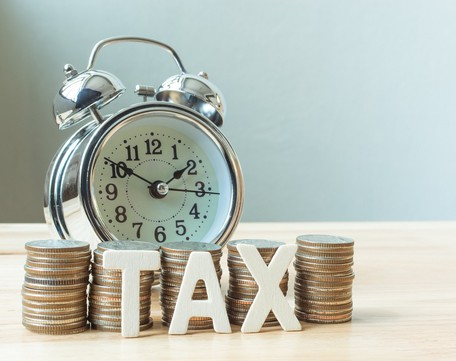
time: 1:50
